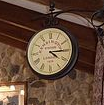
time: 4:15
